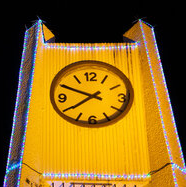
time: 7:49
